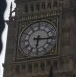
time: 6:15
